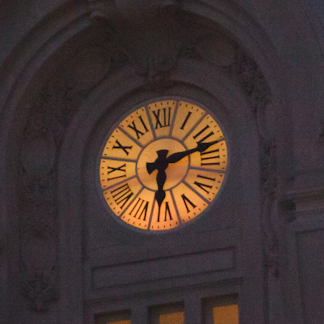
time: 6:12
